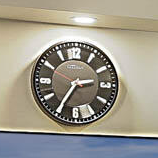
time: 2:35
